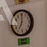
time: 7:00
